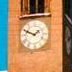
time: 1:49
